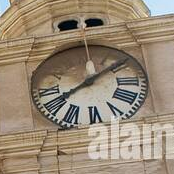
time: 8:09
